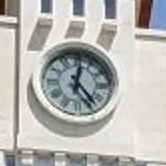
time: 12:23
